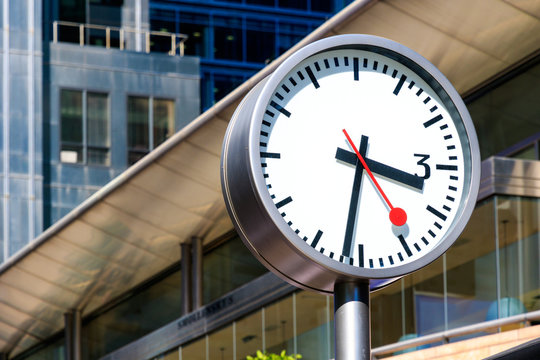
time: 3:31
